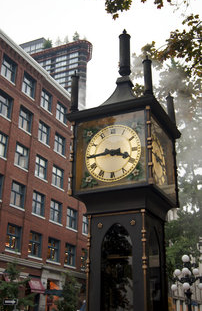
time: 3:45
